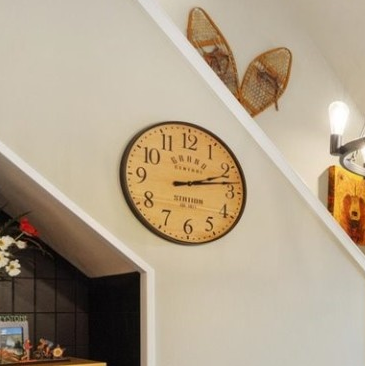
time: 2:12
